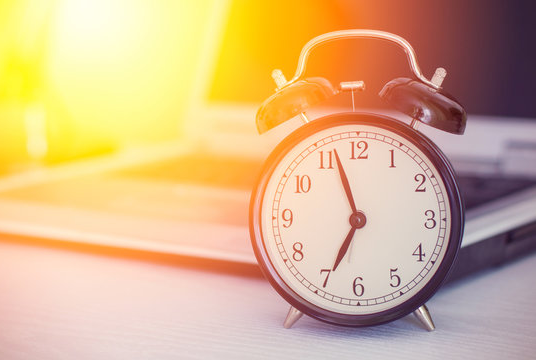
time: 6:56
